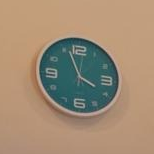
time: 3:56
